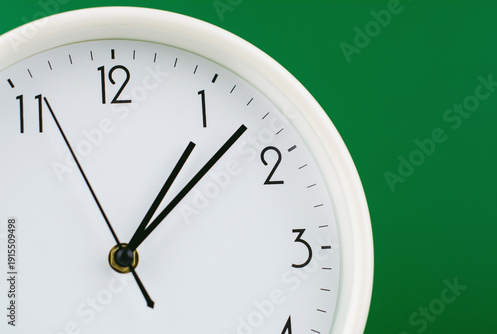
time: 1:07
